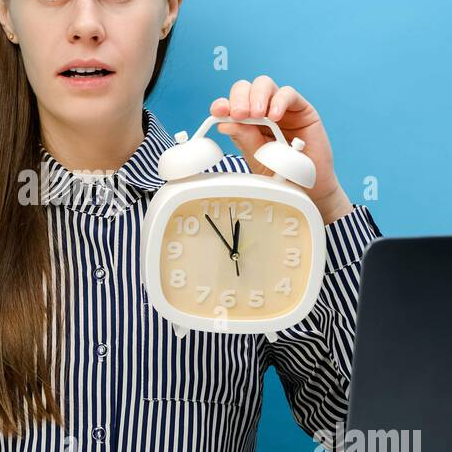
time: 11:53
